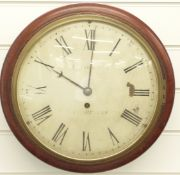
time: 10:00
